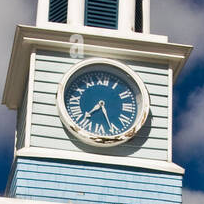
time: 7:26
